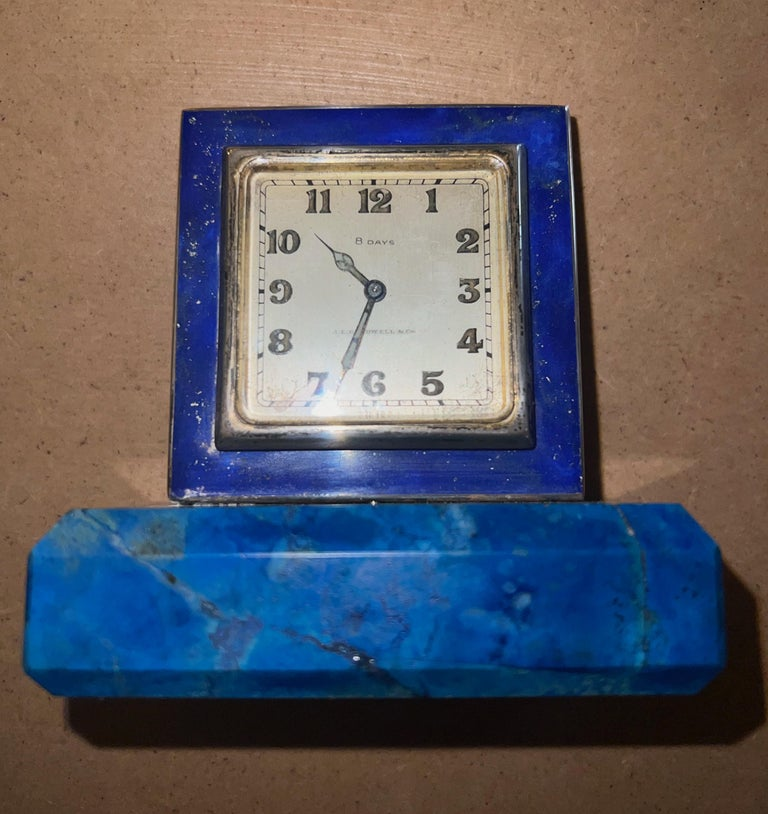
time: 10:33
